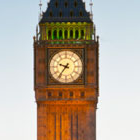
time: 9:36
